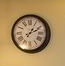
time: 1:11
